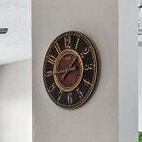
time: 1:44
